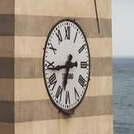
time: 6:43
